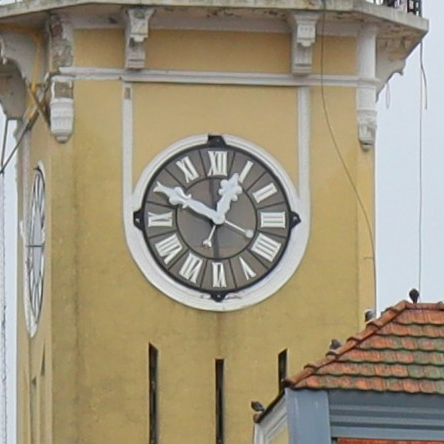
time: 12:49
